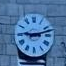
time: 9:12
